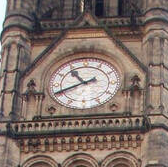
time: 10:41
